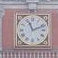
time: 11:11
